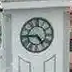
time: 4:44
